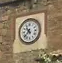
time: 10:37
